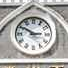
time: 2:50
